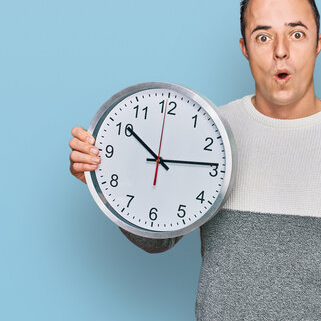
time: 10:13
